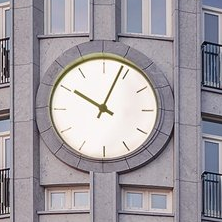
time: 10:03
